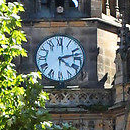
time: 4:12
